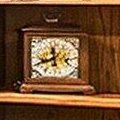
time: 11:40
